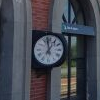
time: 12:58
